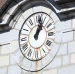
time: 1:02
